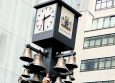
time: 2:29
